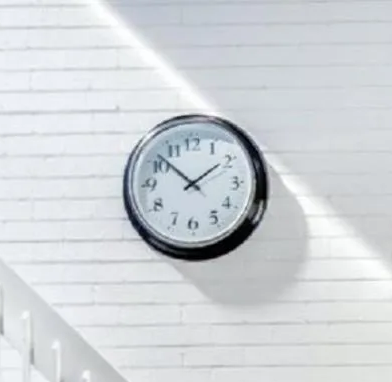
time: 1:52
